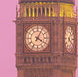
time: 4:04
